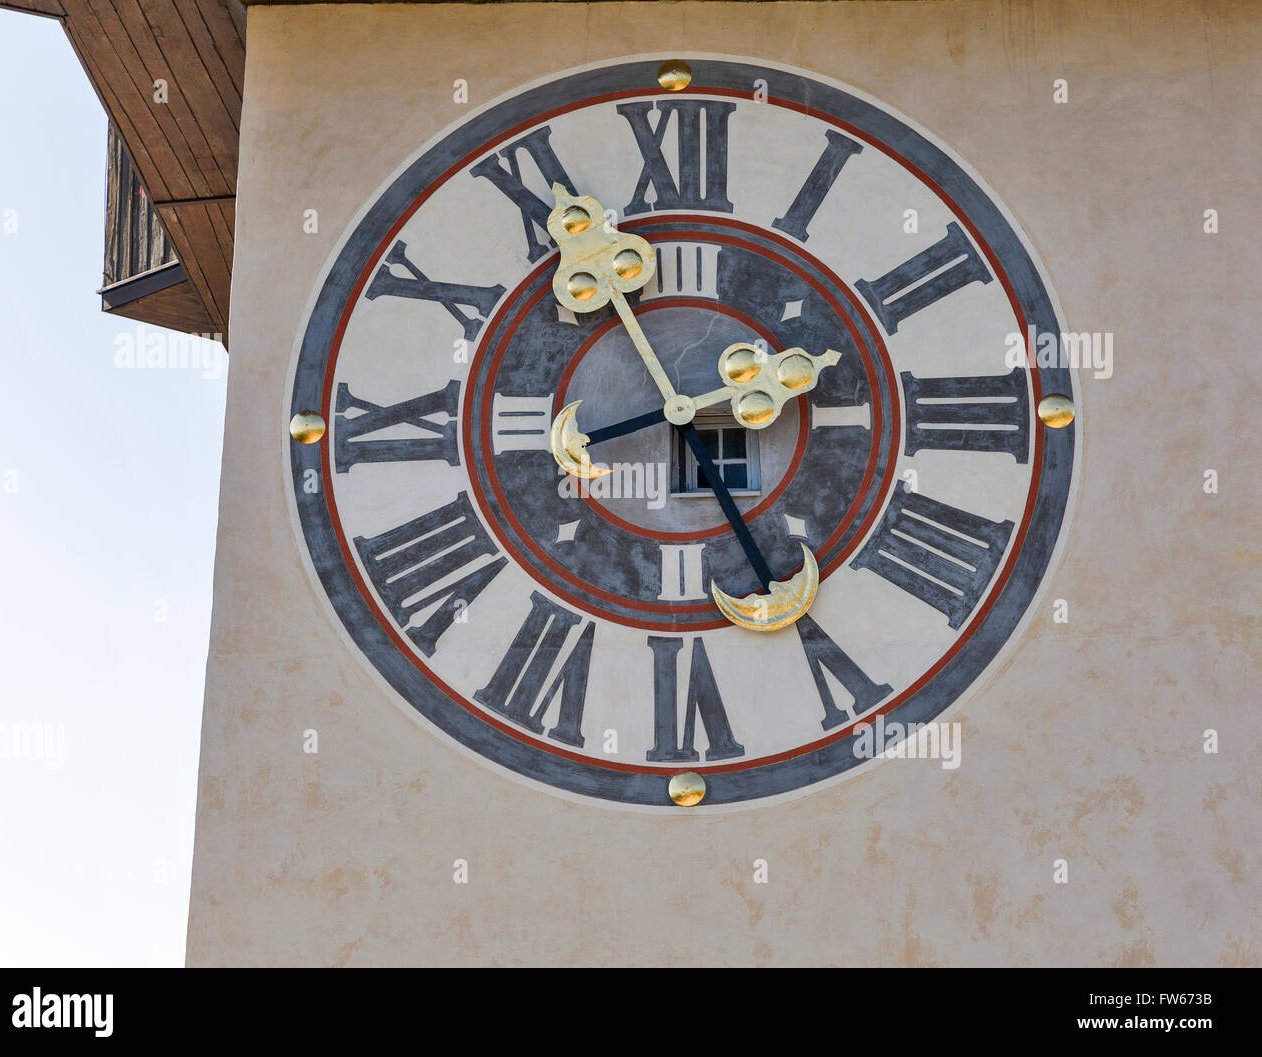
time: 2:25
